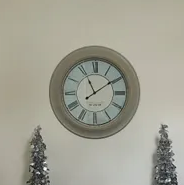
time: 11:09
